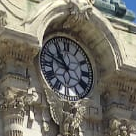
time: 10:48
